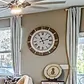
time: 11:12
